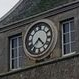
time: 4:37
